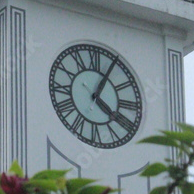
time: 4:04
